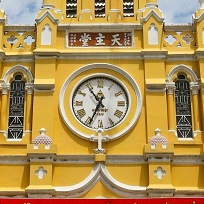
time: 10:34
